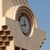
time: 11:42
